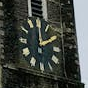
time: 2:00
